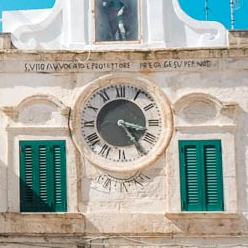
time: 3:24
